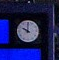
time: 10:00
